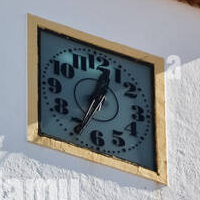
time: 12:34
